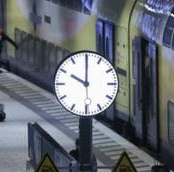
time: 10:00
